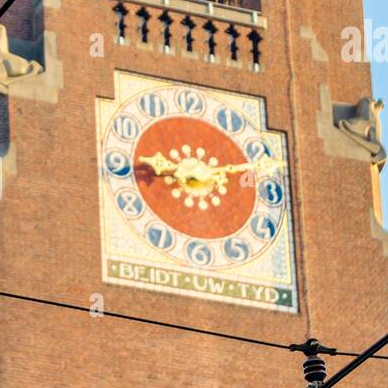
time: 9:11
